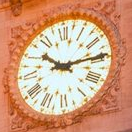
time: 10:14
